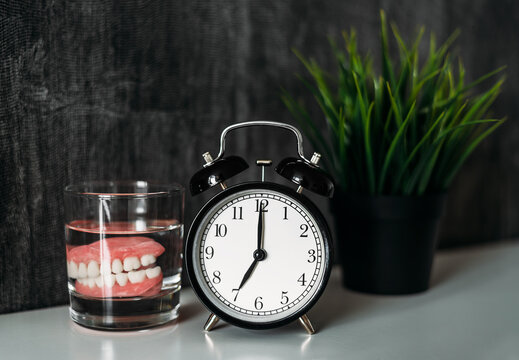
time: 7:00
